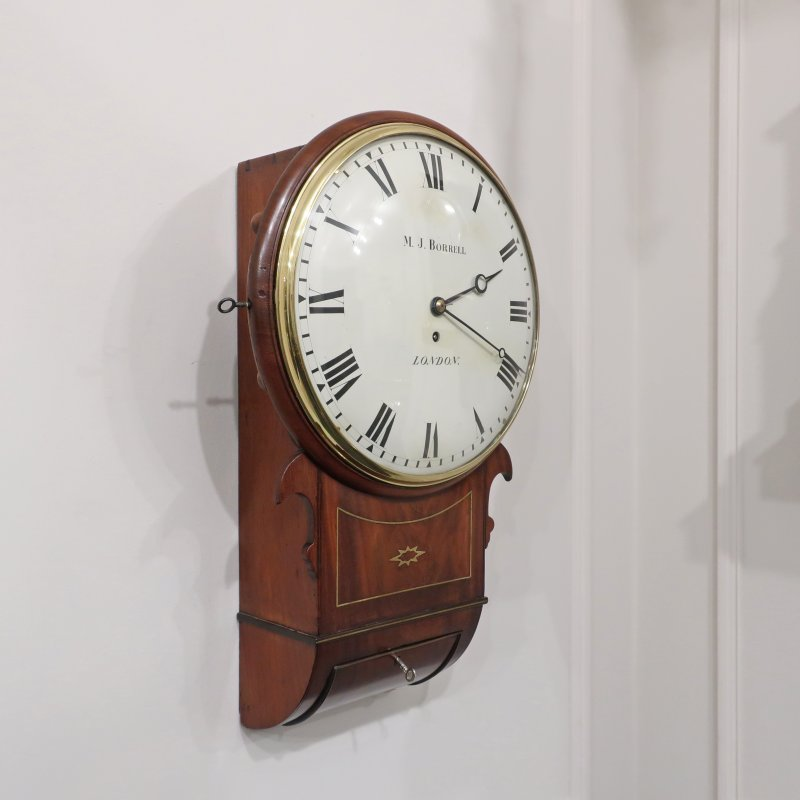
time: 2:18
